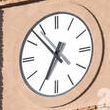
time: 6:52
